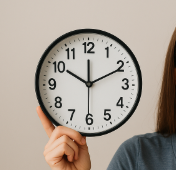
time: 12:10
